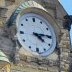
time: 4:14
